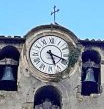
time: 5:18
